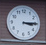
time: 3:14
